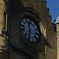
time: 11:32
